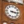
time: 3:16
